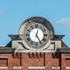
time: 12:24
